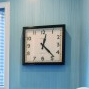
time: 12:23
